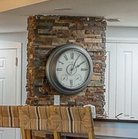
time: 2:04
